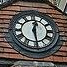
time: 12:28
